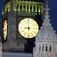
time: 8:59
